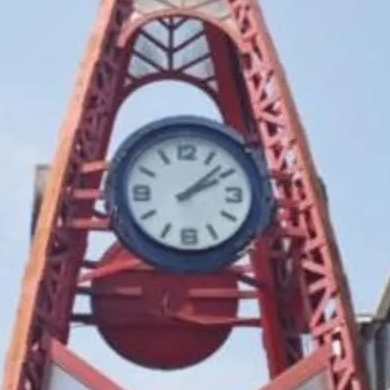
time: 2:08
